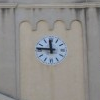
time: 11:46
